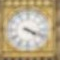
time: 4:18
